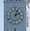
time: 2:03
